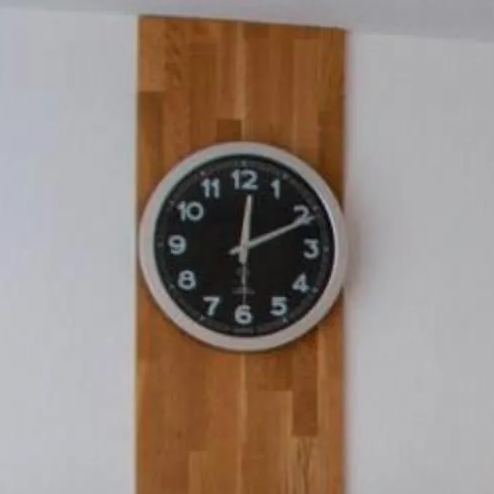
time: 12:10
